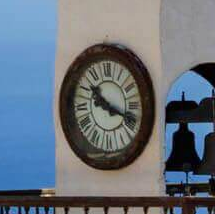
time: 10:18
